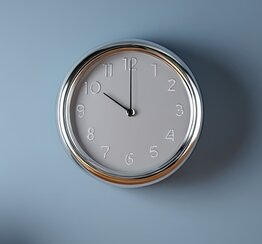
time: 10:00
